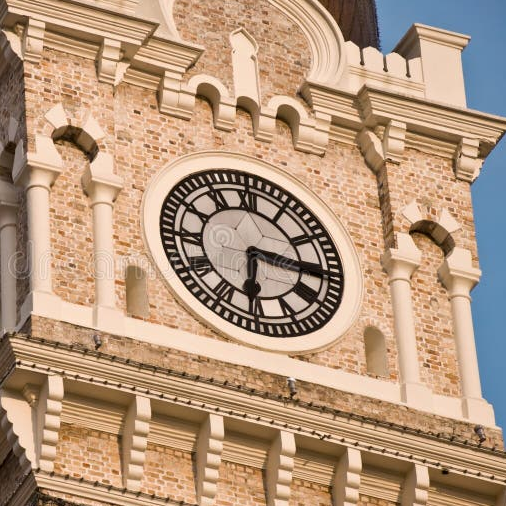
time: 6:15
